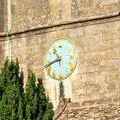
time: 10:42
